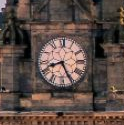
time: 8:25
